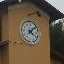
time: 4:07
